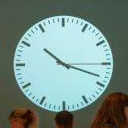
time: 10:18
